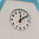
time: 12:09
